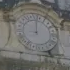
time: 9:01
